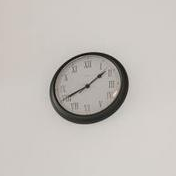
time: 1:40
